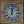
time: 12:02
